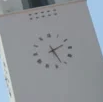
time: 2:26
